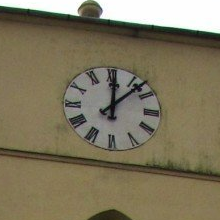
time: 12:07
